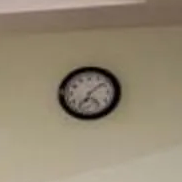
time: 7:08
